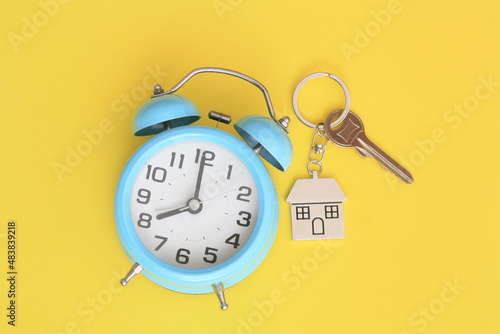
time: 8:00
